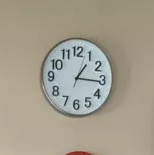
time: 1:15
